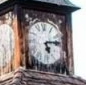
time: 5:14
